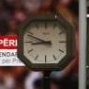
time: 8:48
